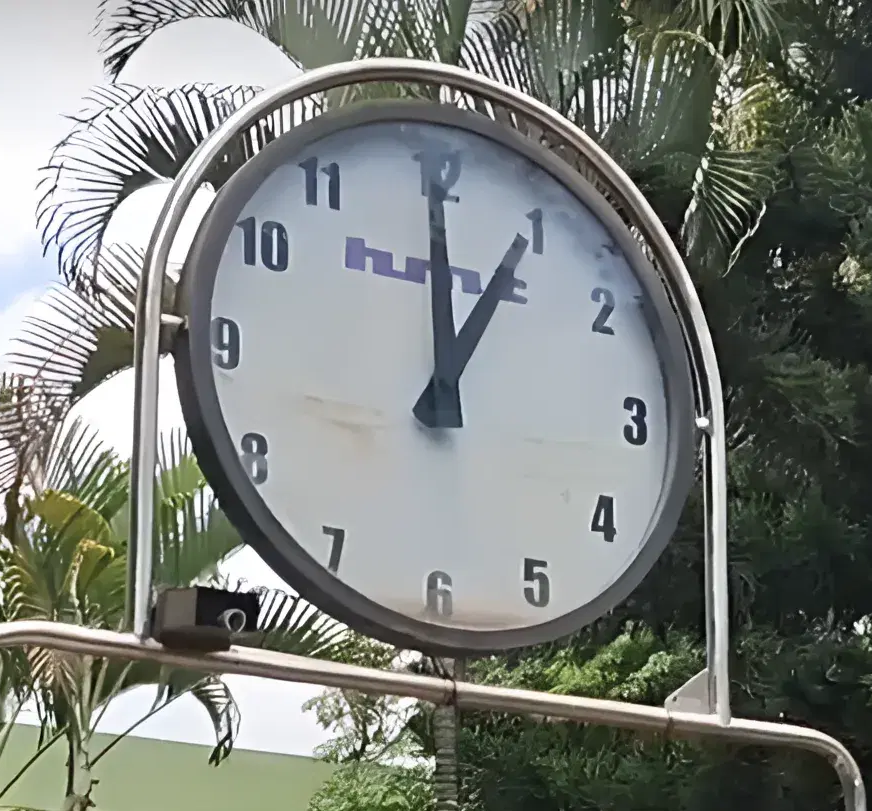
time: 1:00
